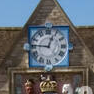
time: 12:45
